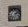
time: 2:11
